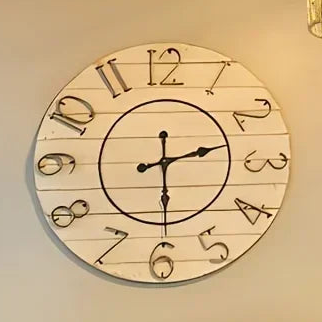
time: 2:29
